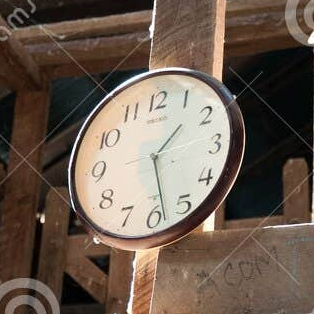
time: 1:28
